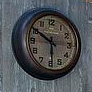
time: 5:50
